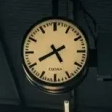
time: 4:40
